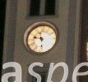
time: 9:28
